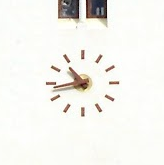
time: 10:43
